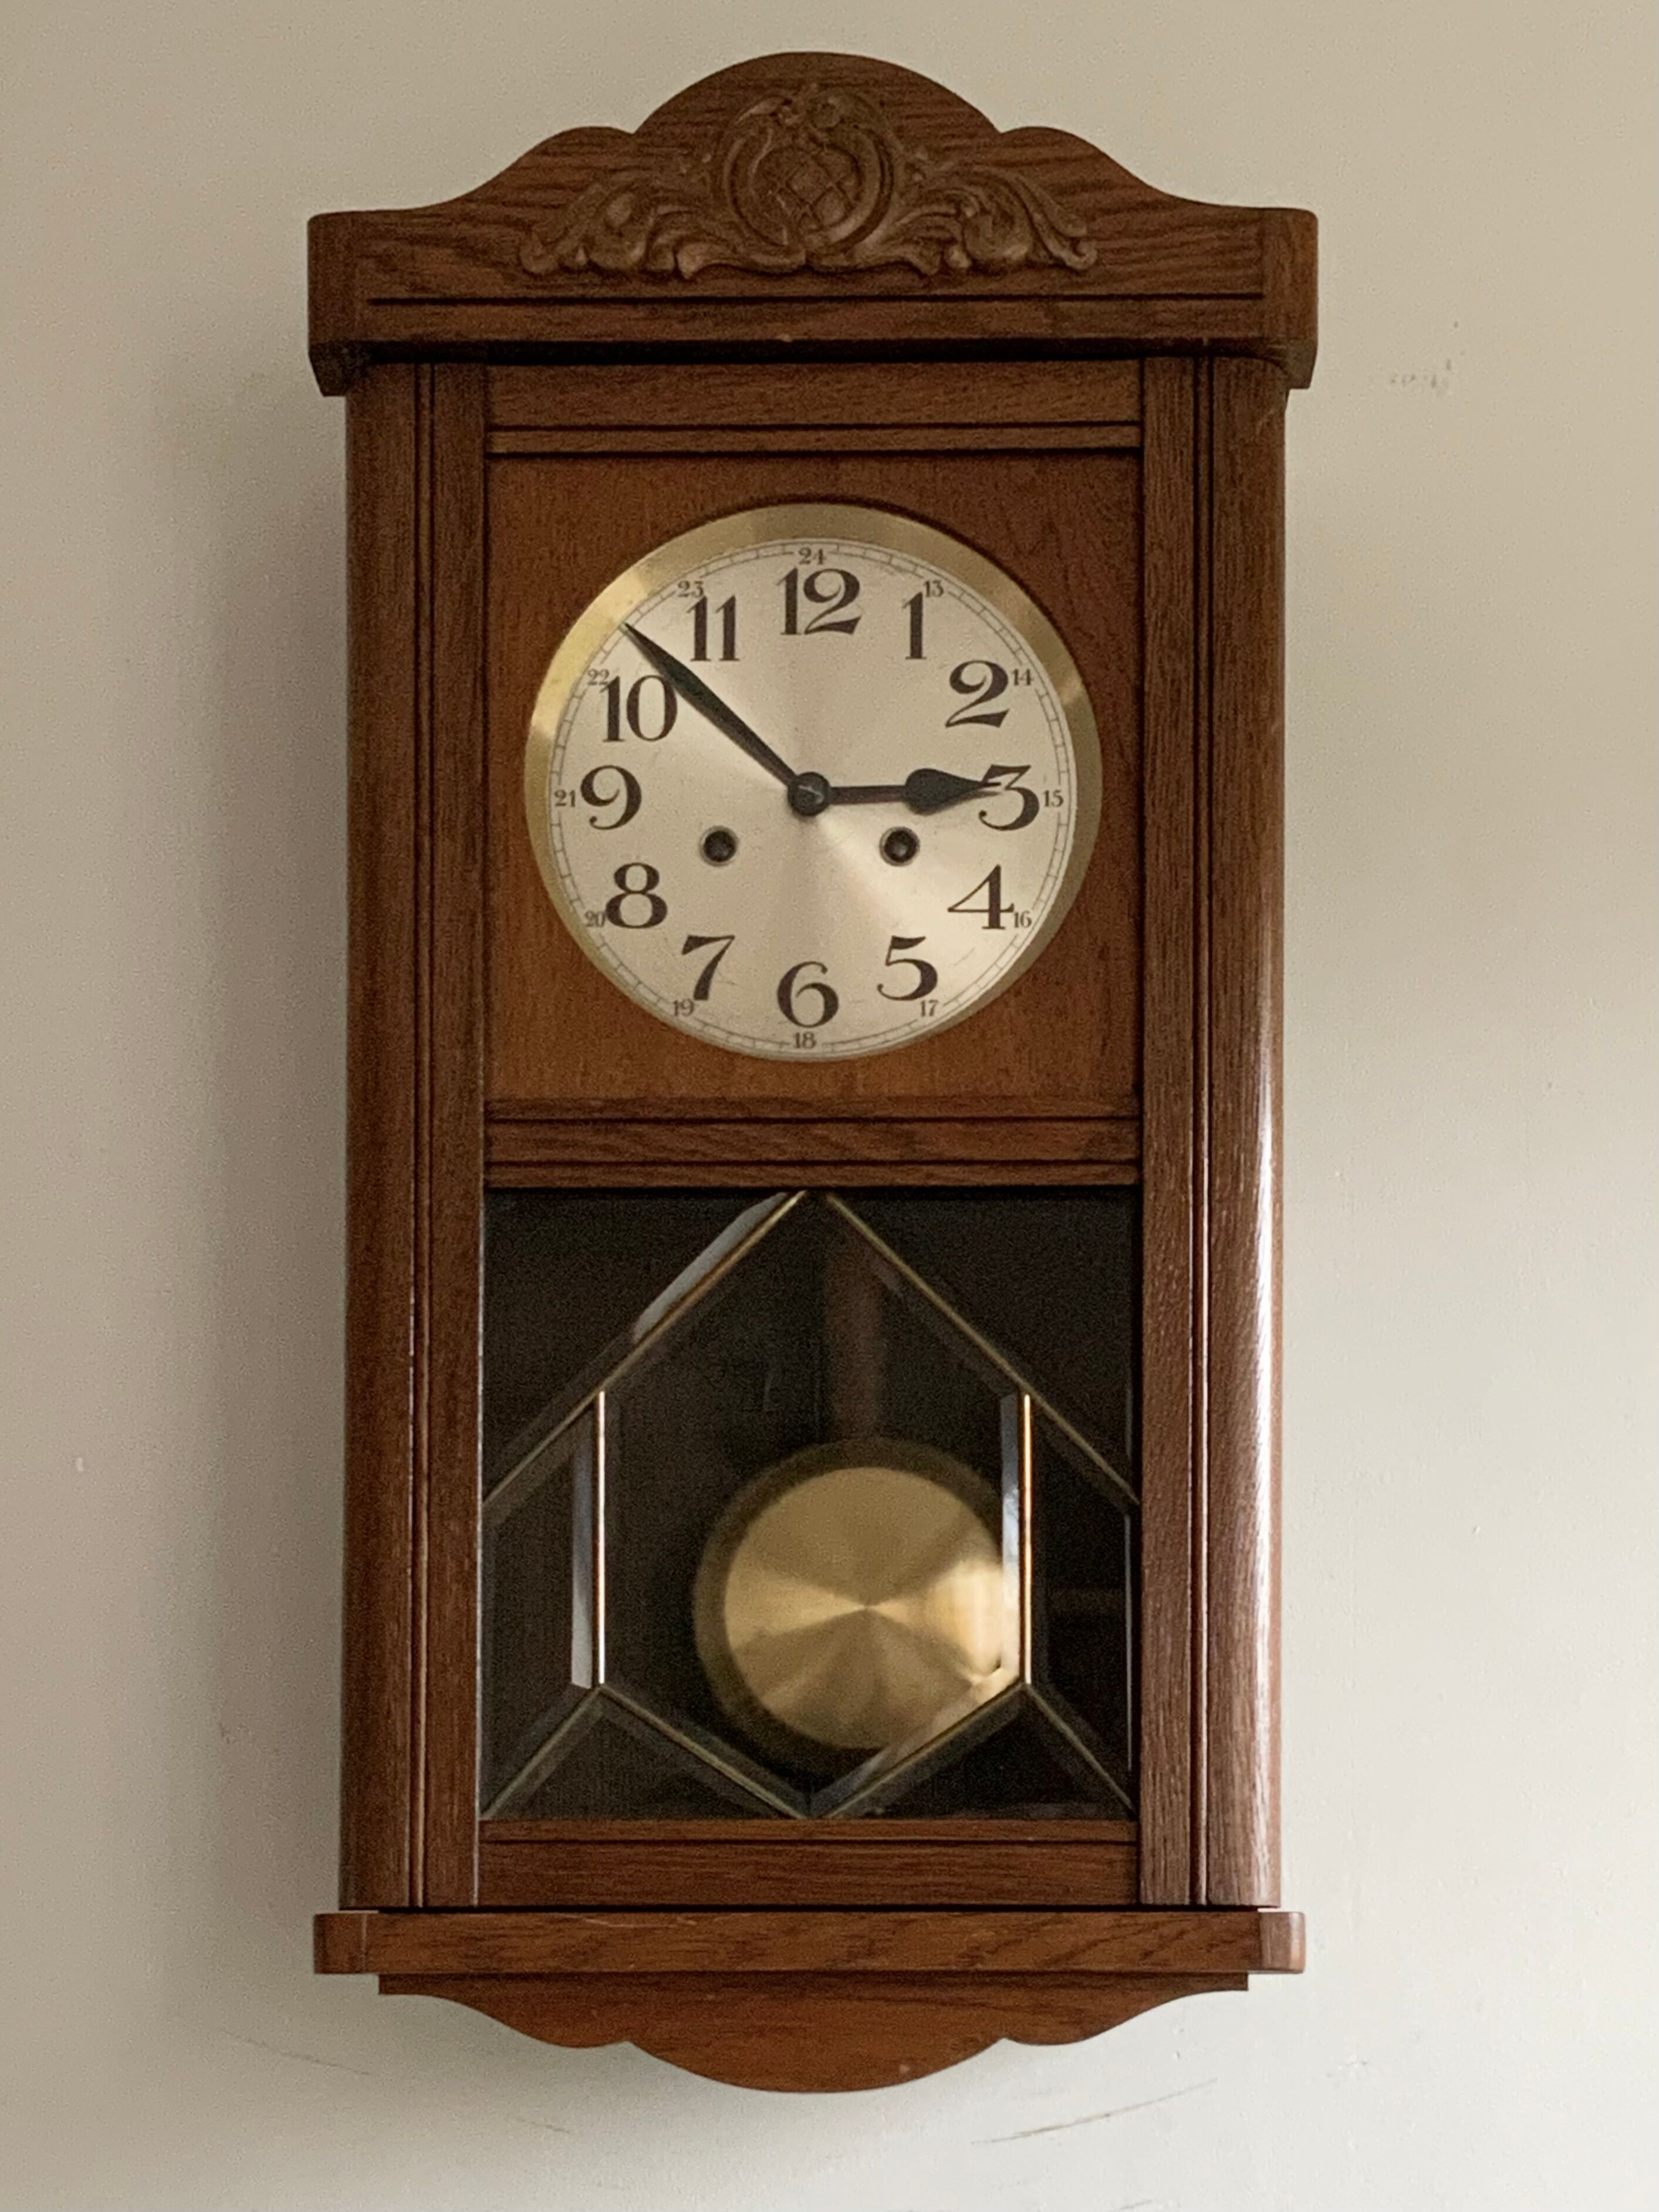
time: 2:52
